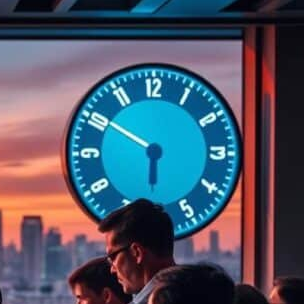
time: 5:50
